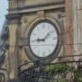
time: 9:08
